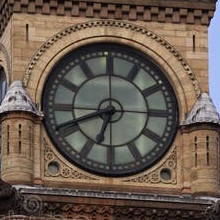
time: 6:41
